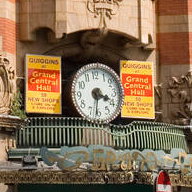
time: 3:31
